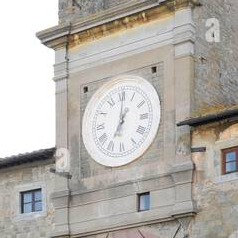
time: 7:00
